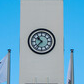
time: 10:36
